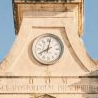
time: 8:02
